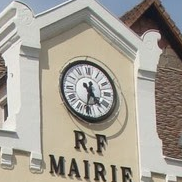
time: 4:31
